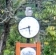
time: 5:42
